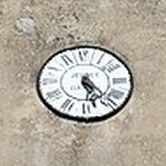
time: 5:22
